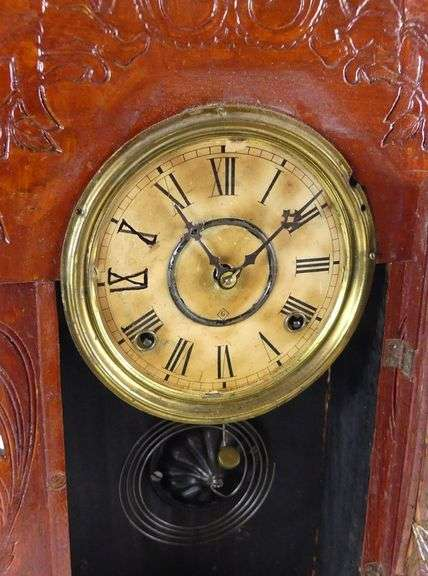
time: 1:54
